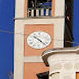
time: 10:22
